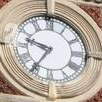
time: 9:35
